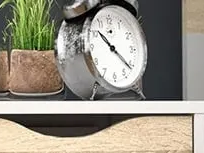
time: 10:21
